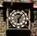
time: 6:06
